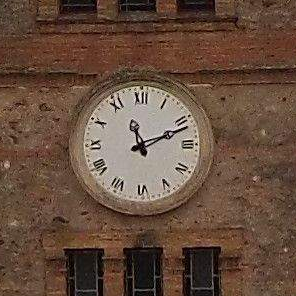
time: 11:11
